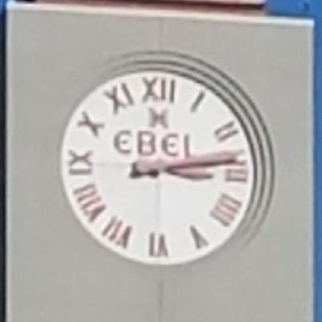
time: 3:13
